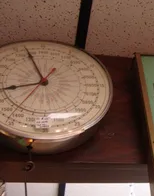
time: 7:55
